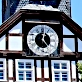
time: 12:23
